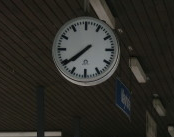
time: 7:39
